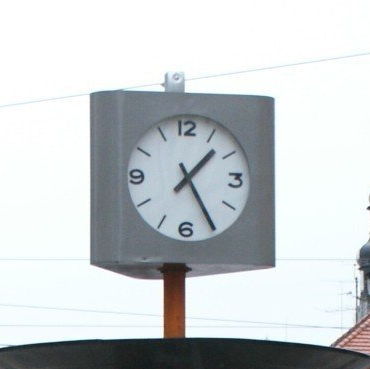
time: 1:24
